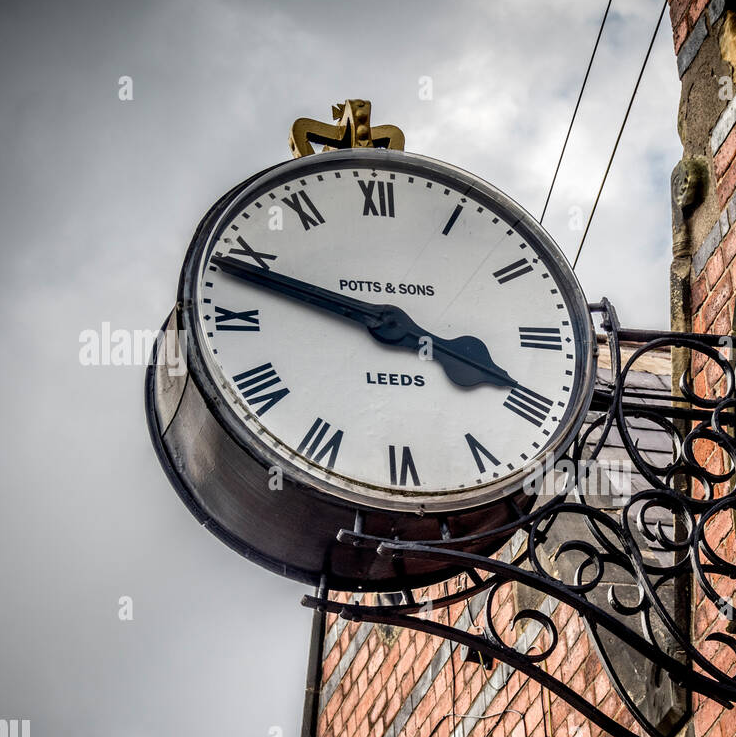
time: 3:48
